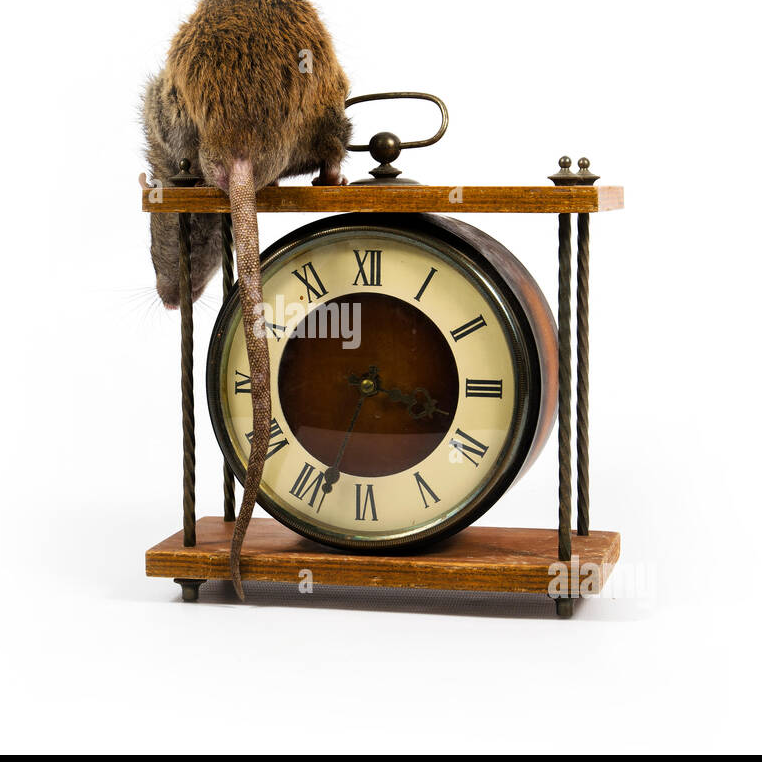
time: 3:33
